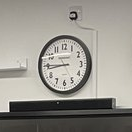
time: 8:45
